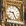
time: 9:26
